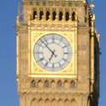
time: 6:52
